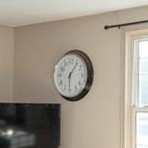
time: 6:06
